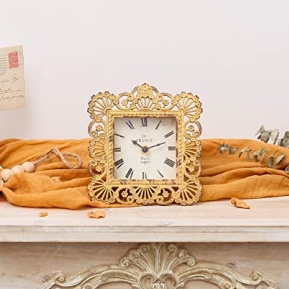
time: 10:11
